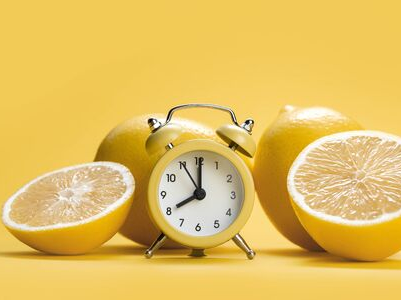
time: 8:00
